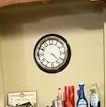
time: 4:22
